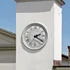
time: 2:20
